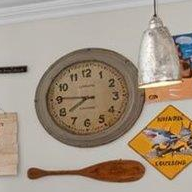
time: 7:45
